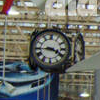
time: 3:44
